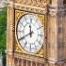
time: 11:40
